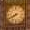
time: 7:40
